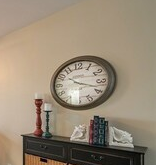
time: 10:18
